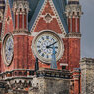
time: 3:09
